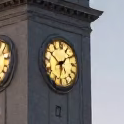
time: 1:50
